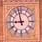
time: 8:57
